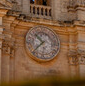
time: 10:37
